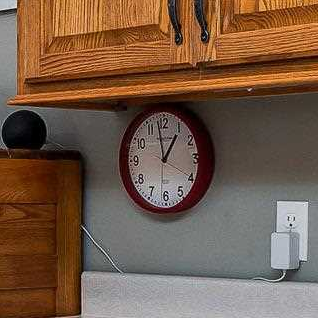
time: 12:58
